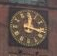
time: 12:17
